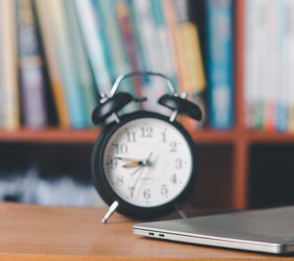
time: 8:46
